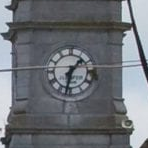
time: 1:32
